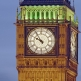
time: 9:54
